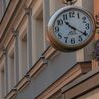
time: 10:20
